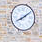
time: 8:09
